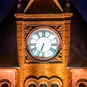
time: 6:33
